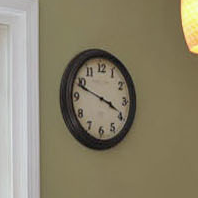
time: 3:48
